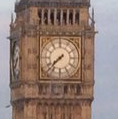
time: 7:37
